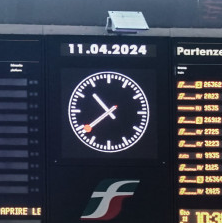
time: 10:38
